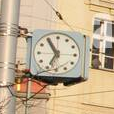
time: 6:54
